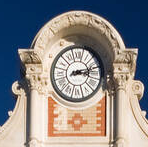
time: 3:12
